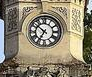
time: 6:51
